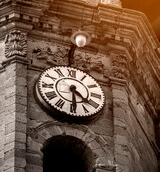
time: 4:29
